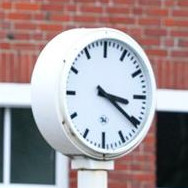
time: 3:20
